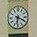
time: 6:18
